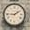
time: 1:45
